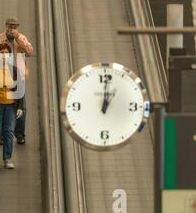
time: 1:01
